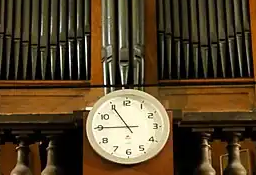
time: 10:45
